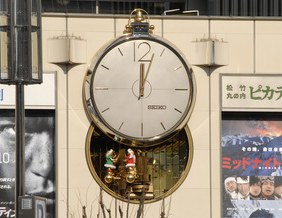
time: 12:03
